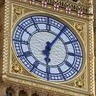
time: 6:05
